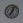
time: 7:04
